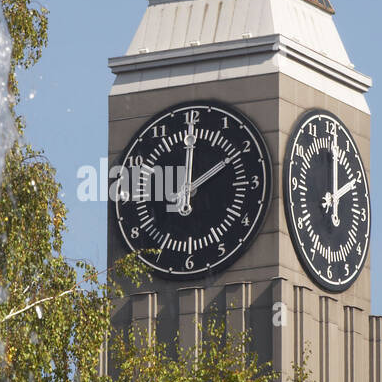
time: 2:00
